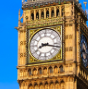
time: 8:17
